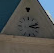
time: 3:11
